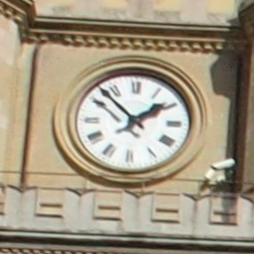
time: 1:52
